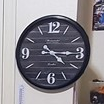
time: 4:14
